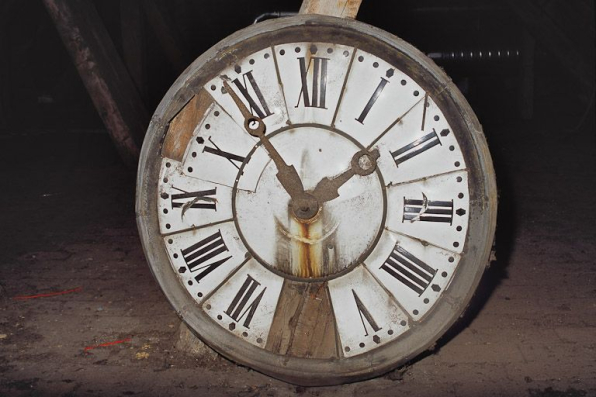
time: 1:54
